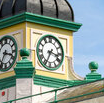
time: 3:34
